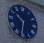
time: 10:31
